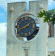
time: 1:40
